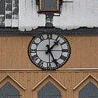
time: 1:25
